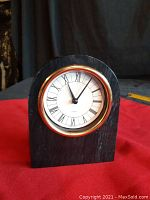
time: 11:04
